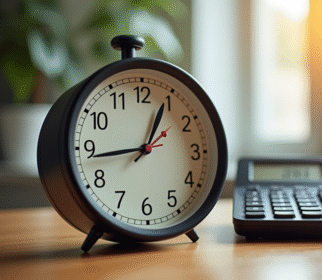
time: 12:43
